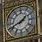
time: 1:41
